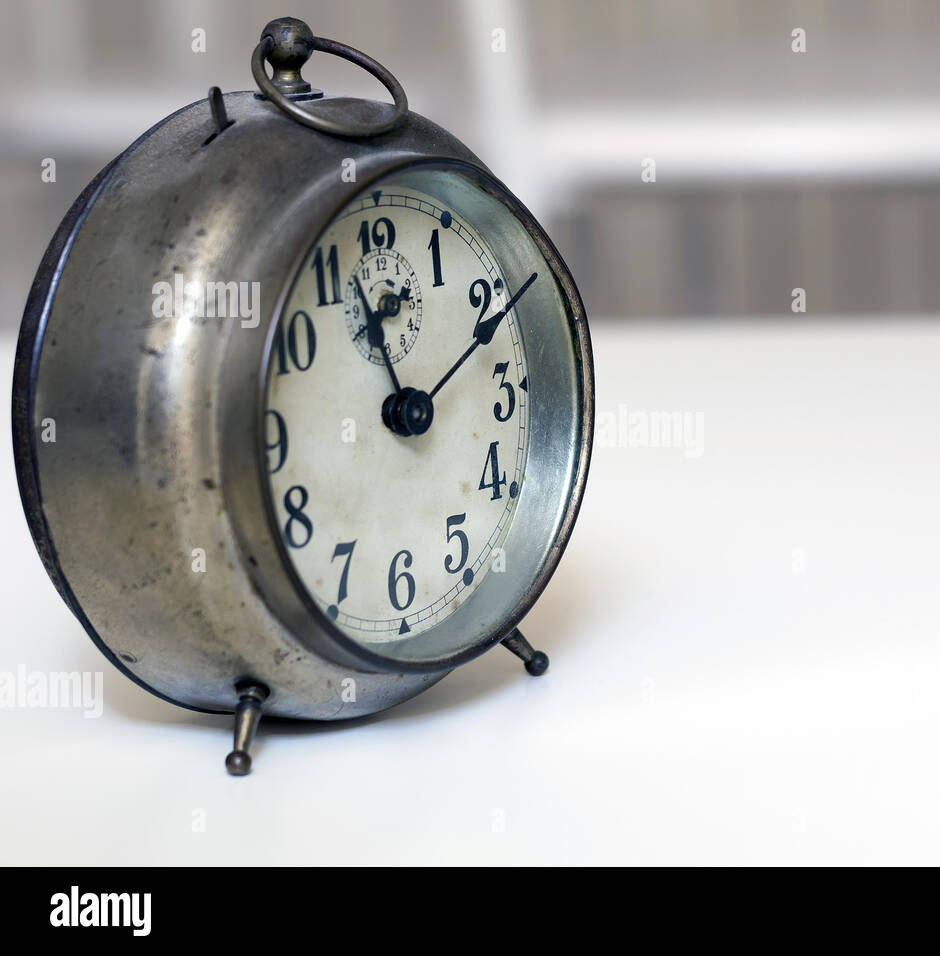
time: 11:10
